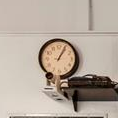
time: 1:04
